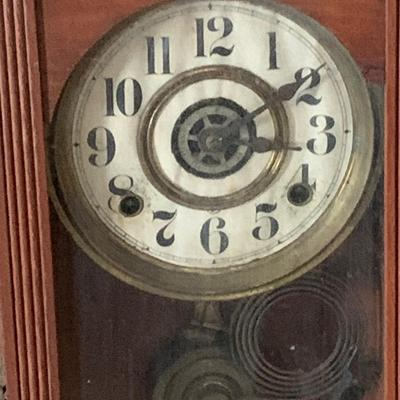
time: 3:09
